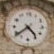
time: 4:38
